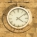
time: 4:08
